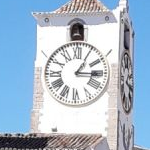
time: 3:05
